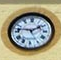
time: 1:46
